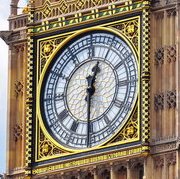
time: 12:30
